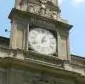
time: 8:03
